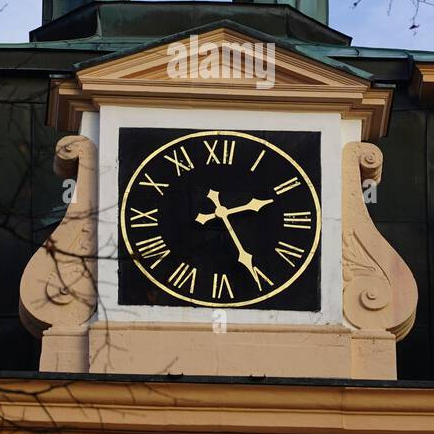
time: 2:25
